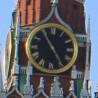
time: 4:54
